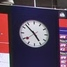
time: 4:52
